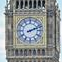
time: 2:11
